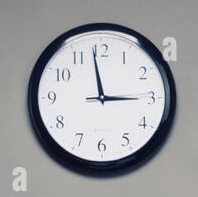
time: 2:58
